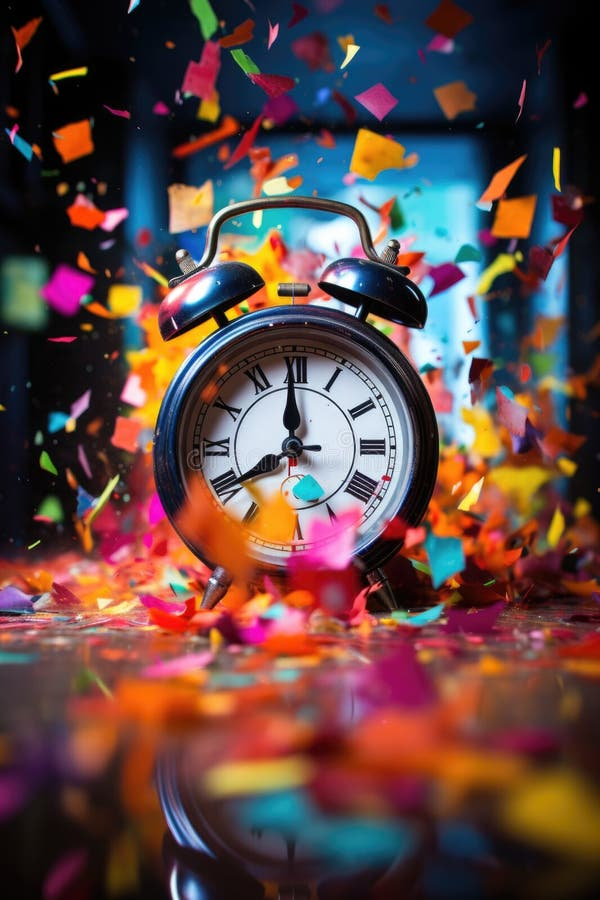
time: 7:59
